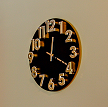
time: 12:19
